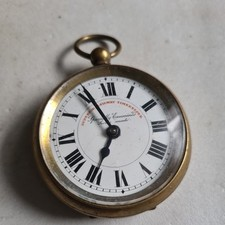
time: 6:55
